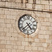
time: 4:37
